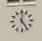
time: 5:00
